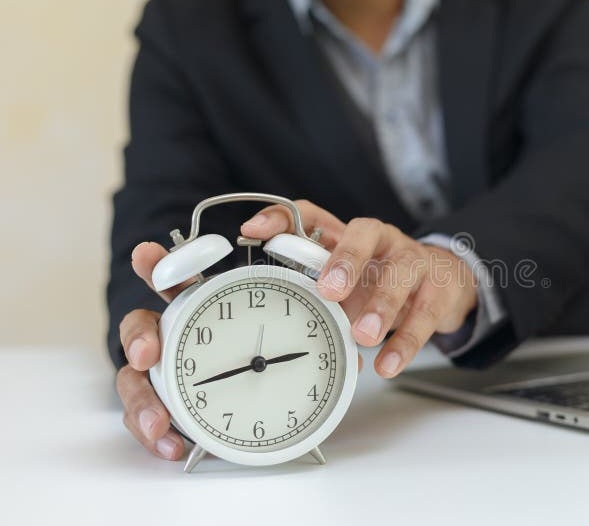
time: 2:42
